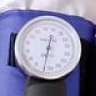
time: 12:32
